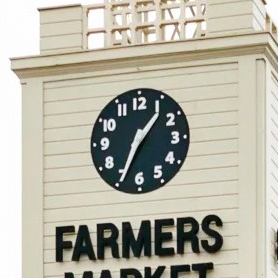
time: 1:34
